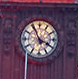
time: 3:55
